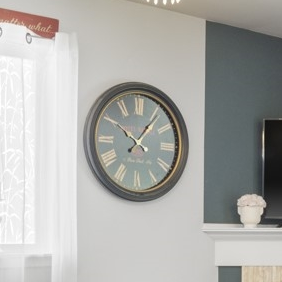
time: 10:06
